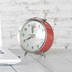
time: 11:40
